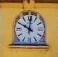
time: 10:00
